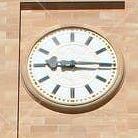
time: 9:14
